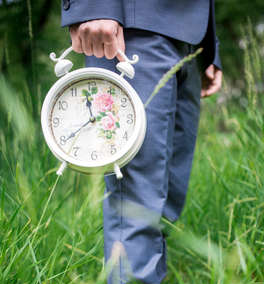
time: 11:39
